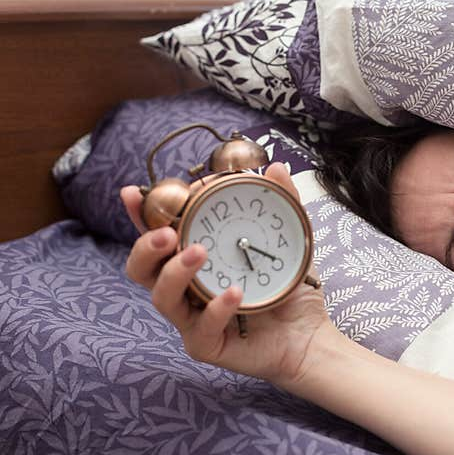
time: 5:20
